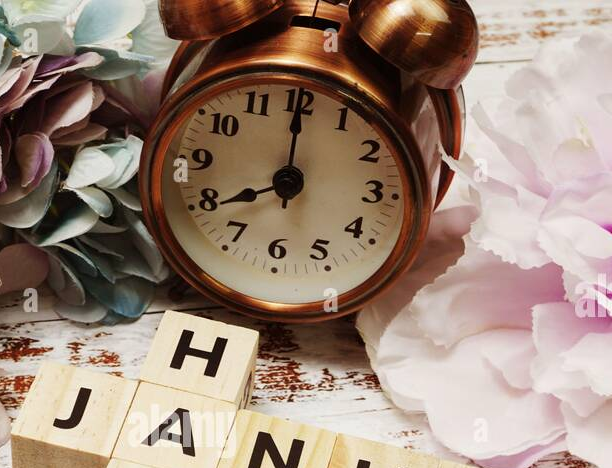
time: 8:00
